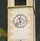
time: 11:37
